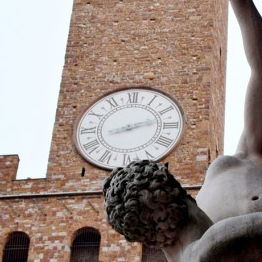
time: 8:12
